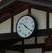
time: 10:20
